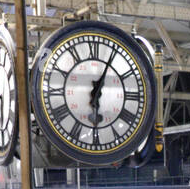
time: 6:04
